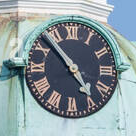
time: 4:52
